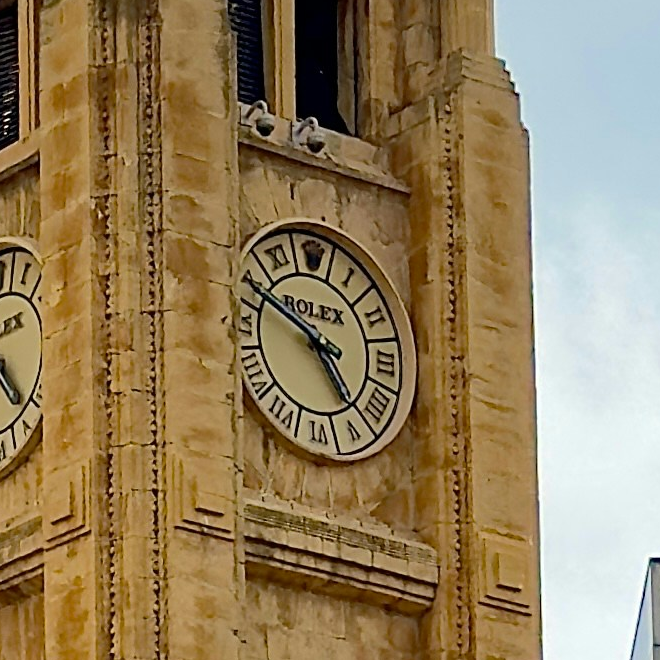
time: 4:48
